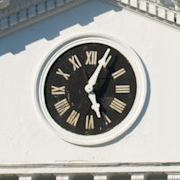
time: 5:04
